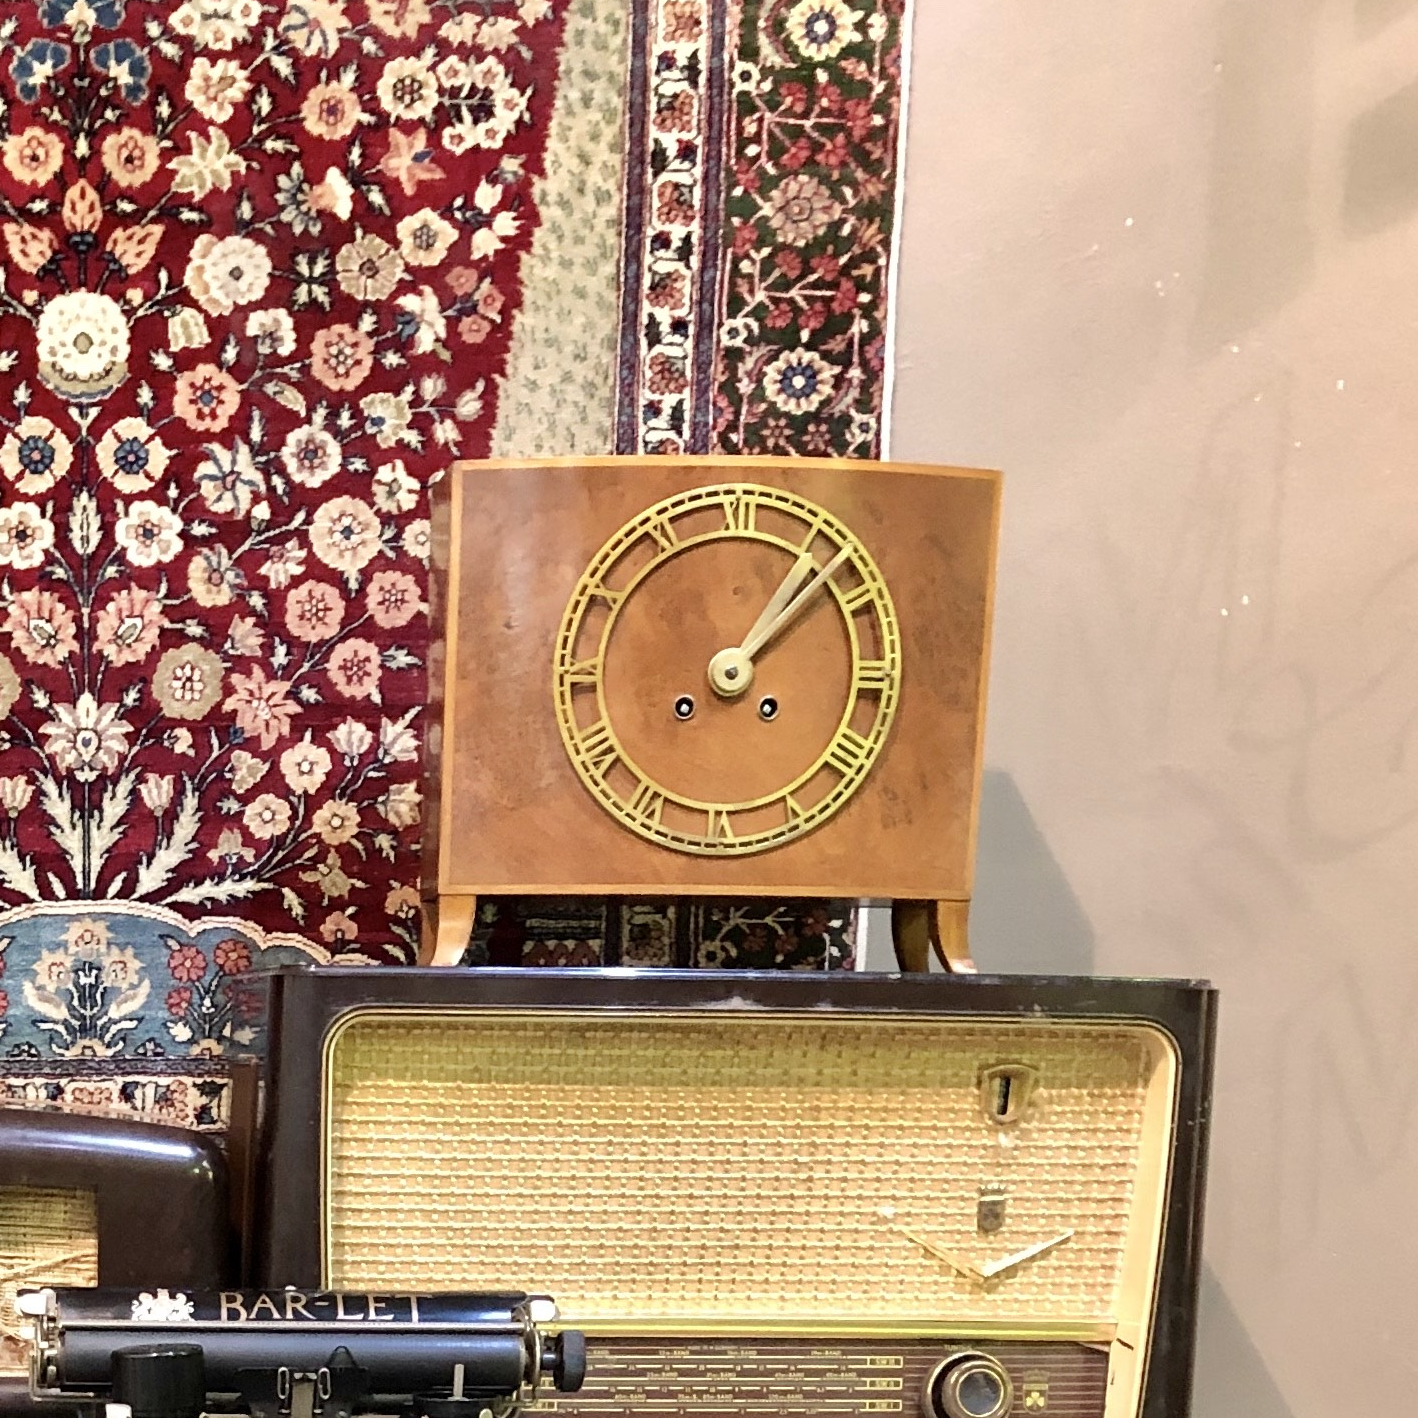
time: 1:07
